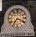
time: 7:19
